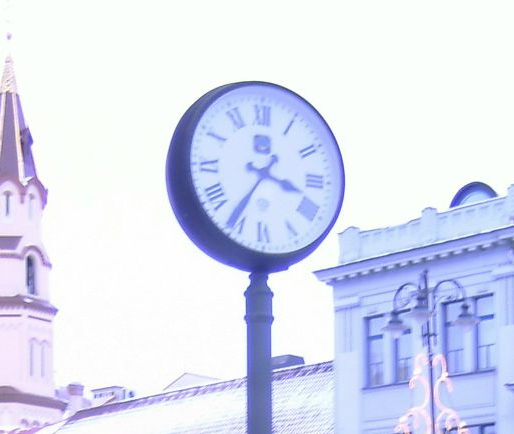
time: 3:35
